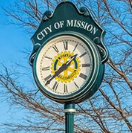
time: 1:38
